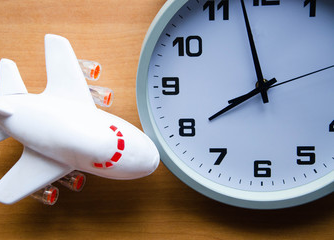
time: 7:57
